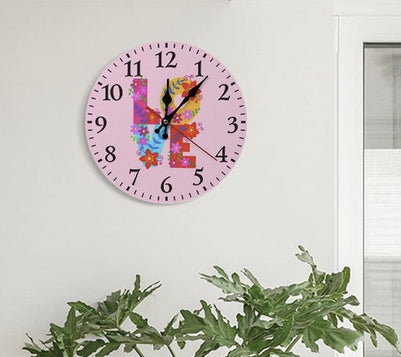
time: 12:06
